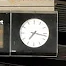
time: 7:16
